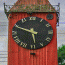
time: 5:49
